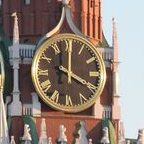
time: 4:00
